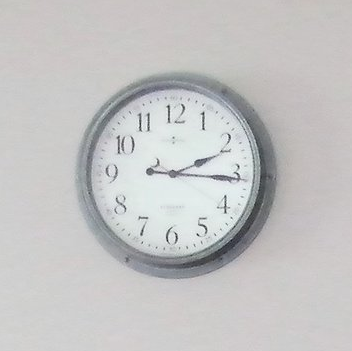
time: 2:15
